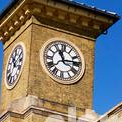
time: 11:13
